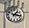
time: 1:16
